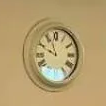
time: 9:57
